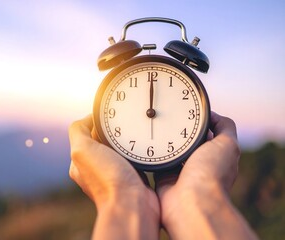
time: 12:00
